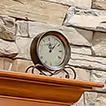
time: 12:07
